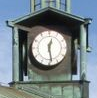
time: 12:28
